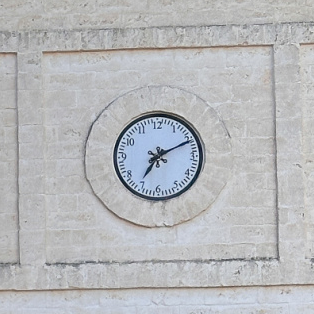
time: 7:10
